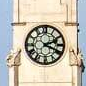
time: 2:18
